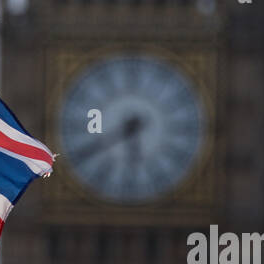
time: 5:40
